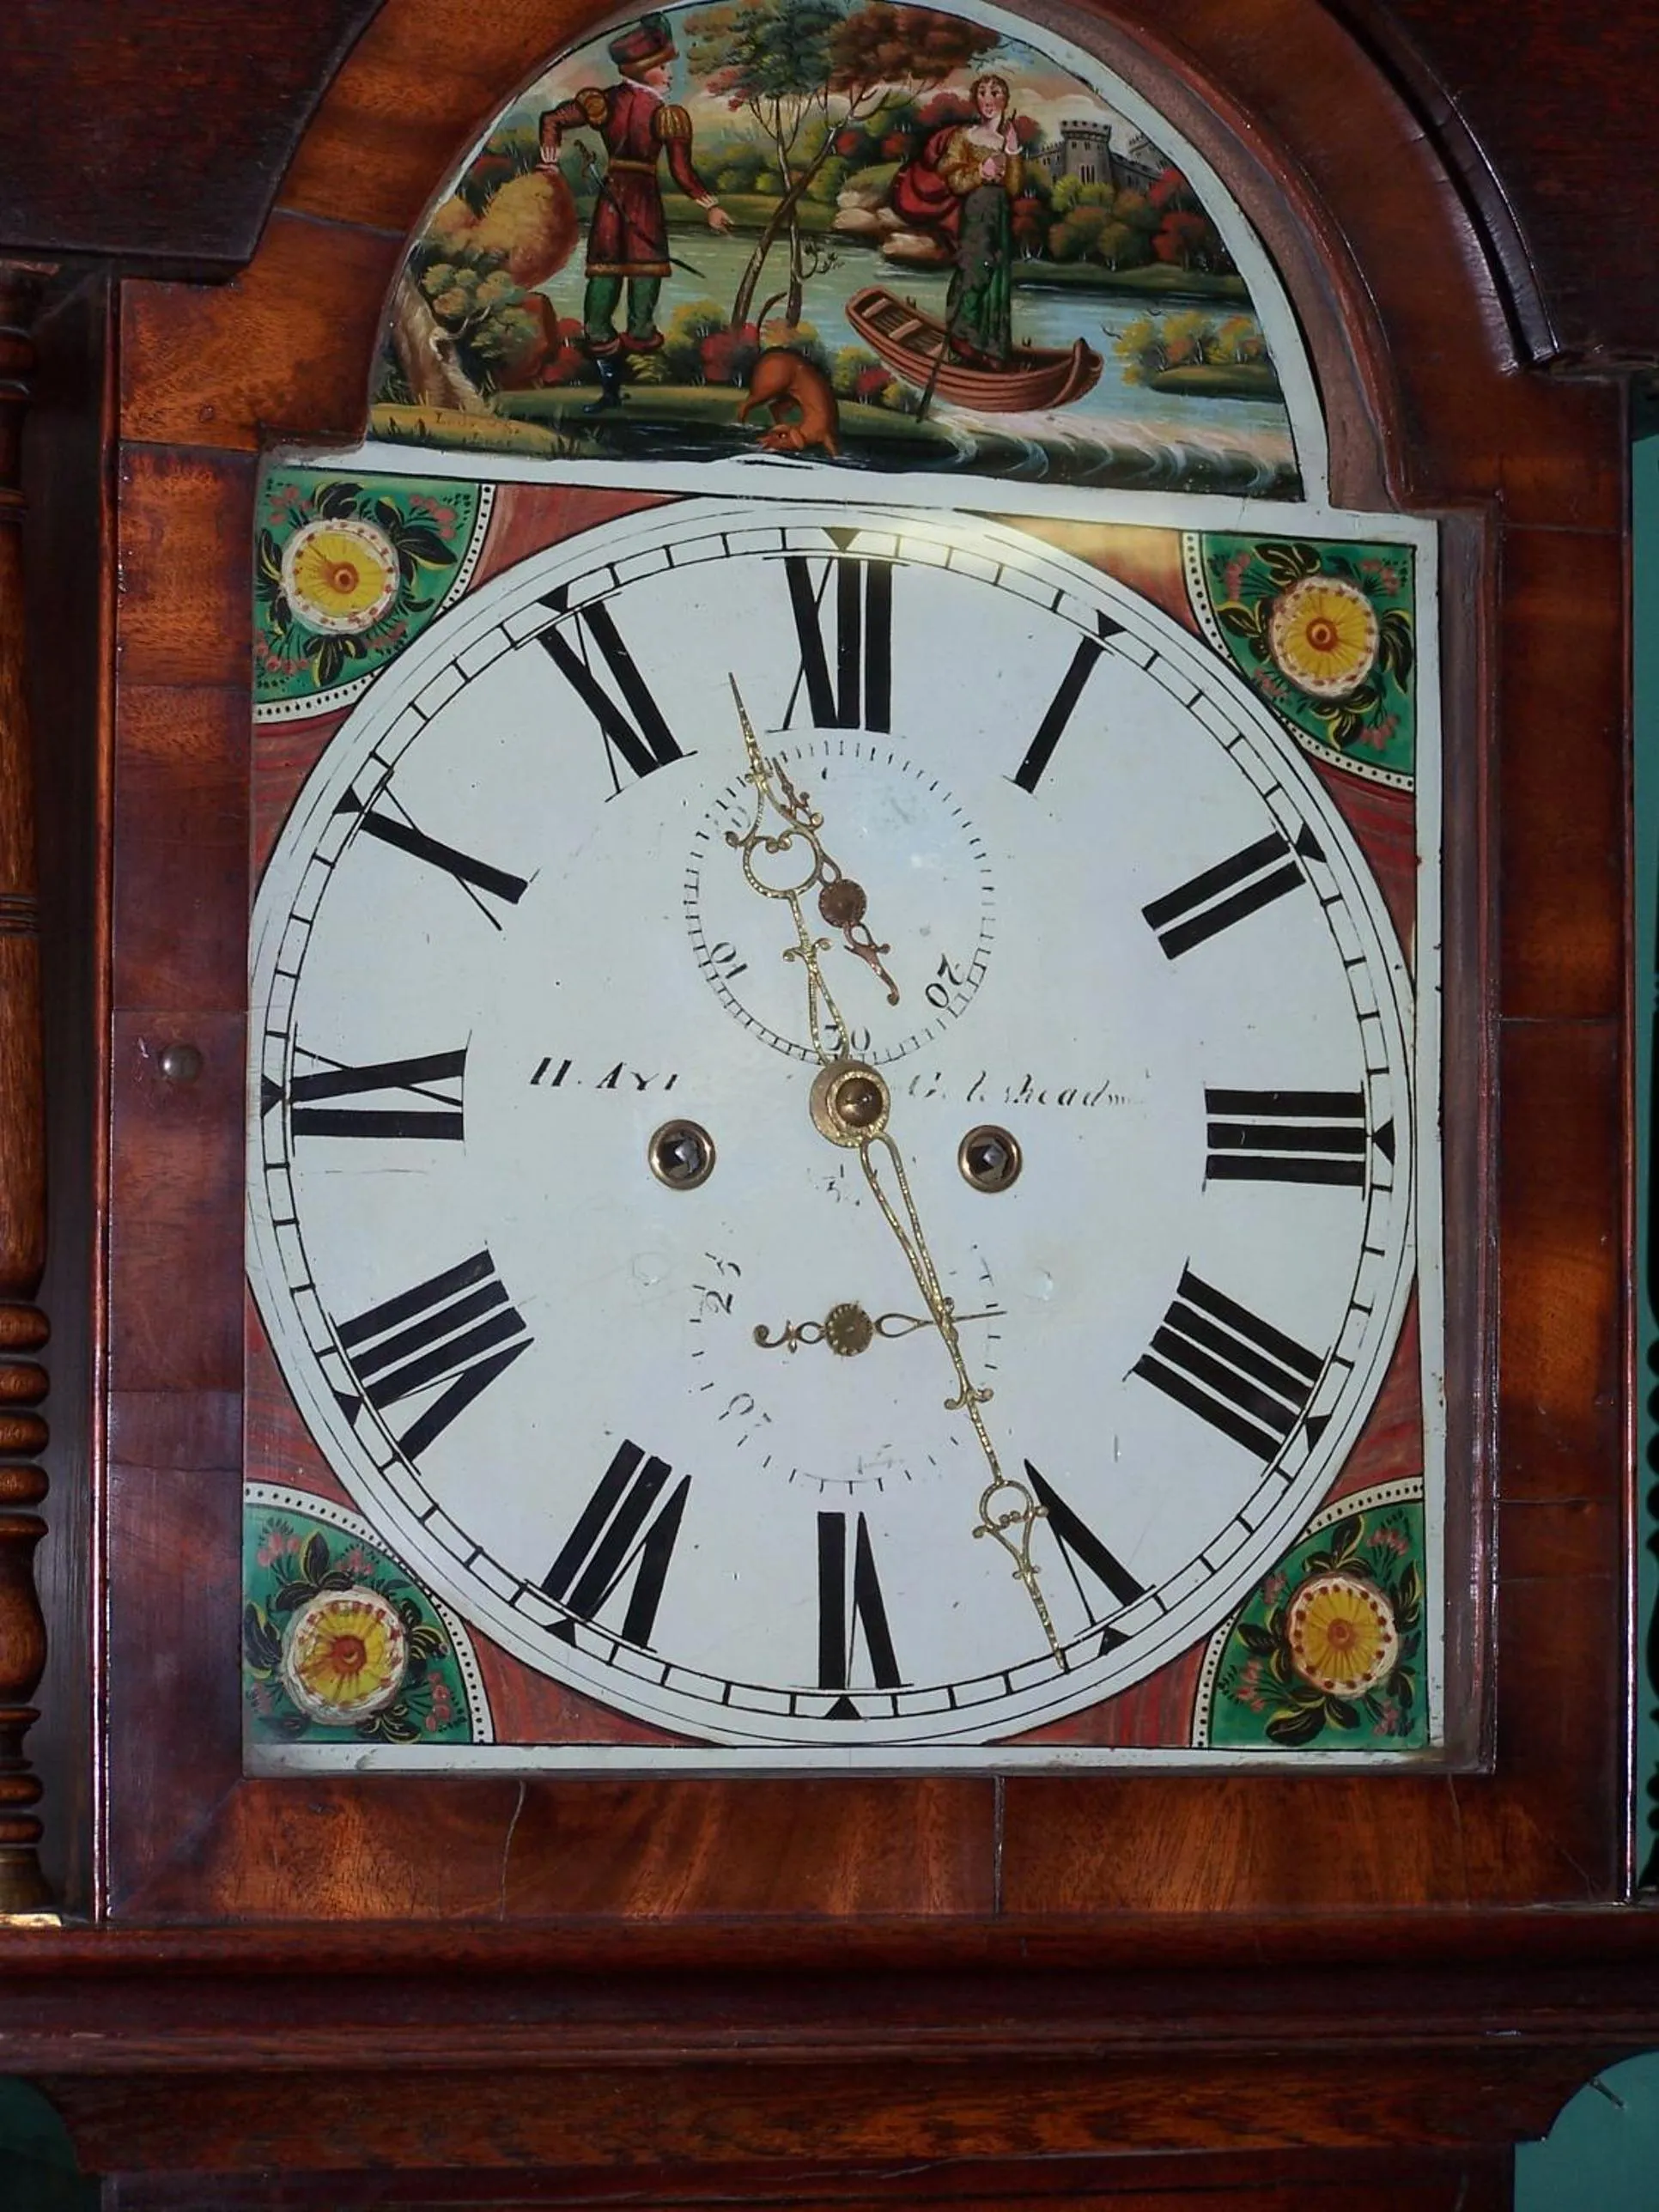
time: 11:25
